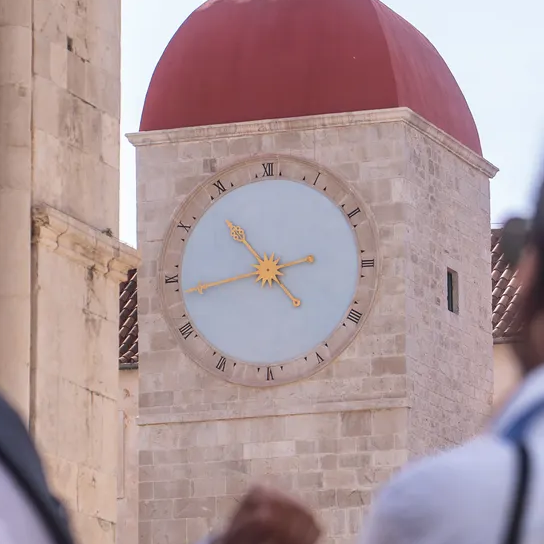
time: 10:43
